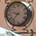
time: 9:36
